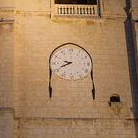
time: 9:41
